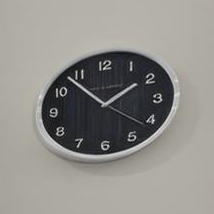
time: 1:53
